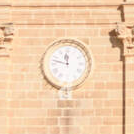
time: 11:47
